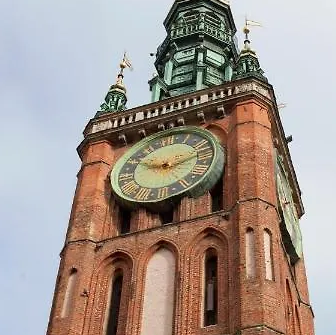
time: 9:12
